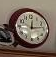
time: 12:13
